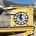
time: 11:51
